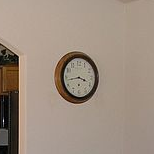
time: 3:43
